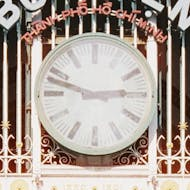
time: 2:48
